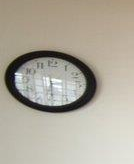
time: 3:29
